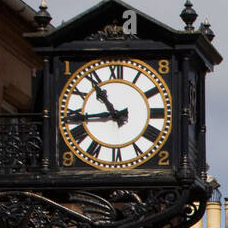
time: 10:43
